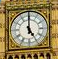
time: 4:59
